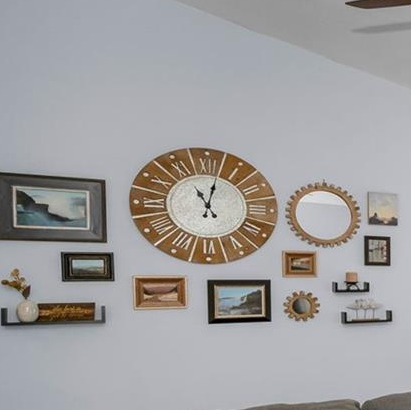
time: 11:02
